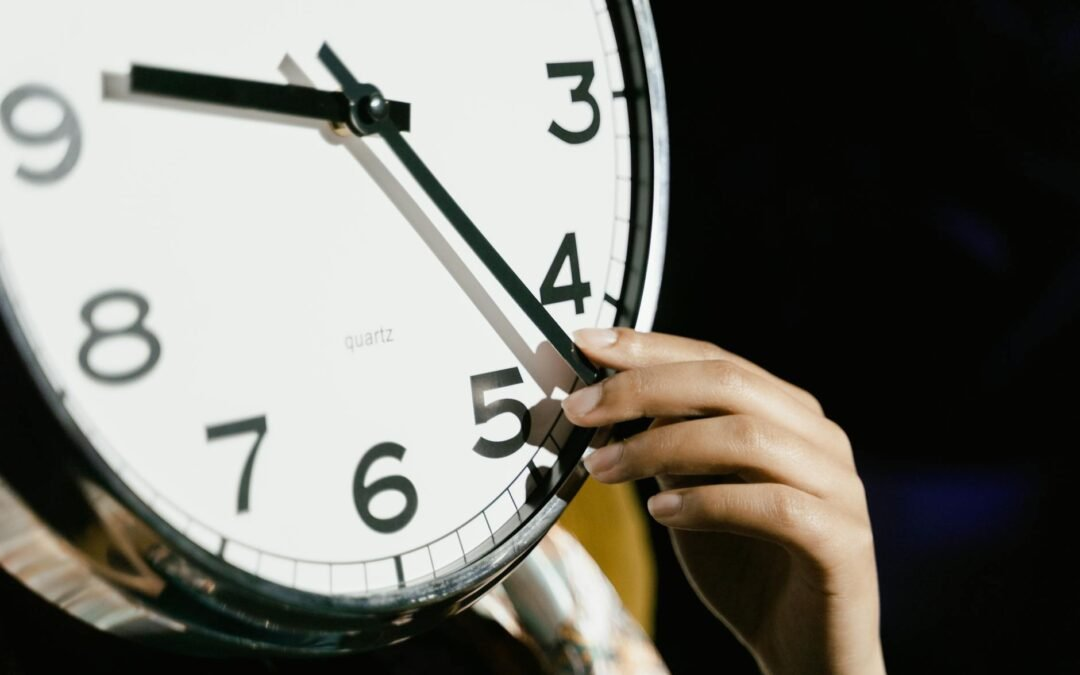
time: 9:22
